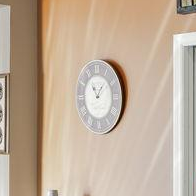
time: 11:07
